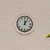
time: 12:05
